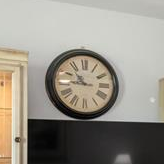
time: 10:45
